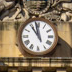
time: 10:58
